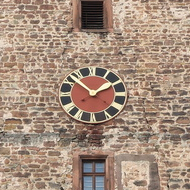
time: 1:51
